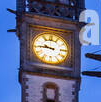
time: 9:45
